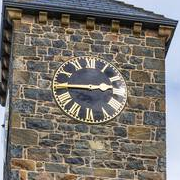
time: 2:45
